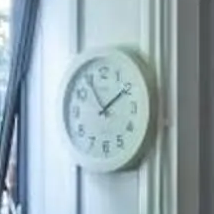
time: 1:54
